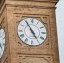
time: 4:54
